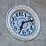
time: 2:34
